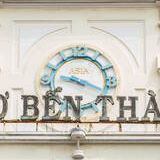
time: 9:18
